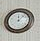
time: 12:07
